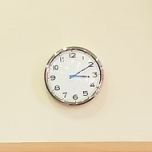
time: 3:10
